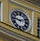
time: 9:12
